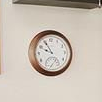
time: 9:55
